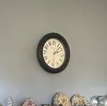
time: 2:07
